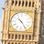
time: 10:24
